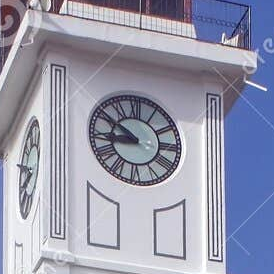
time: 8:50
